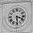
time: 3:29
